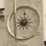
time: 9:01
